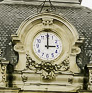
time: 3:00
